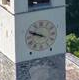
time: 9:48
